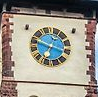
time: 6:48
